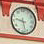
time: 9:28
